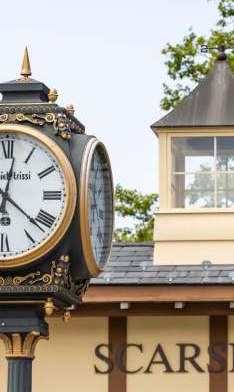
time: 12:21
